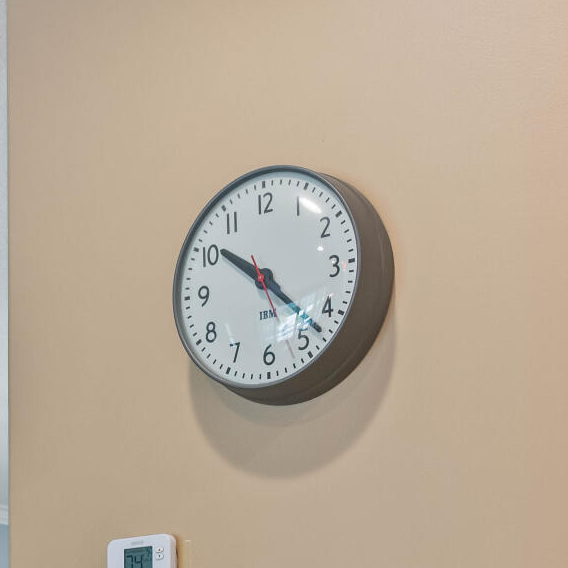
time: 10:22
